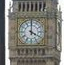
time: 4:00
